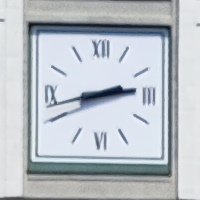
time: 2:42
